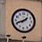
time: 1:41
